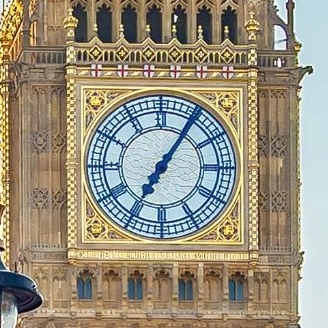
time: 7:05
